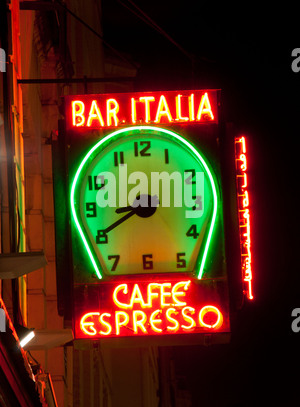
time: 8:40
